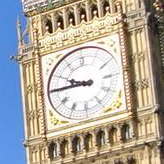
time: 9:45
